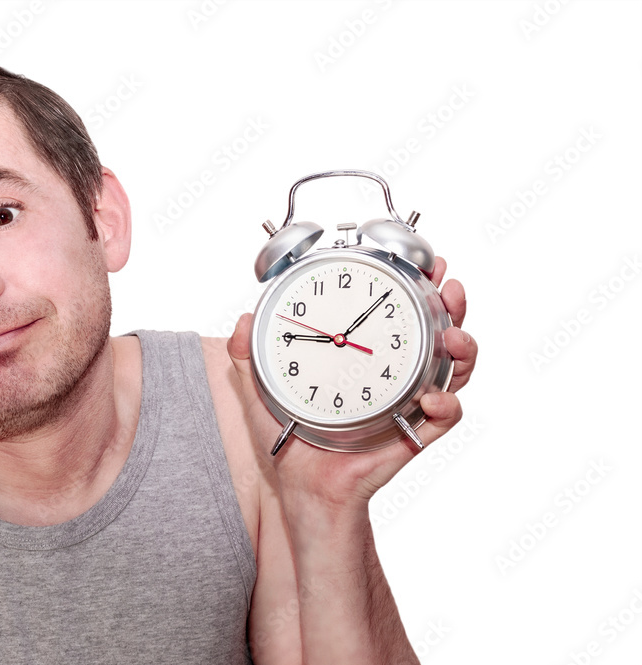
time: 9:07
